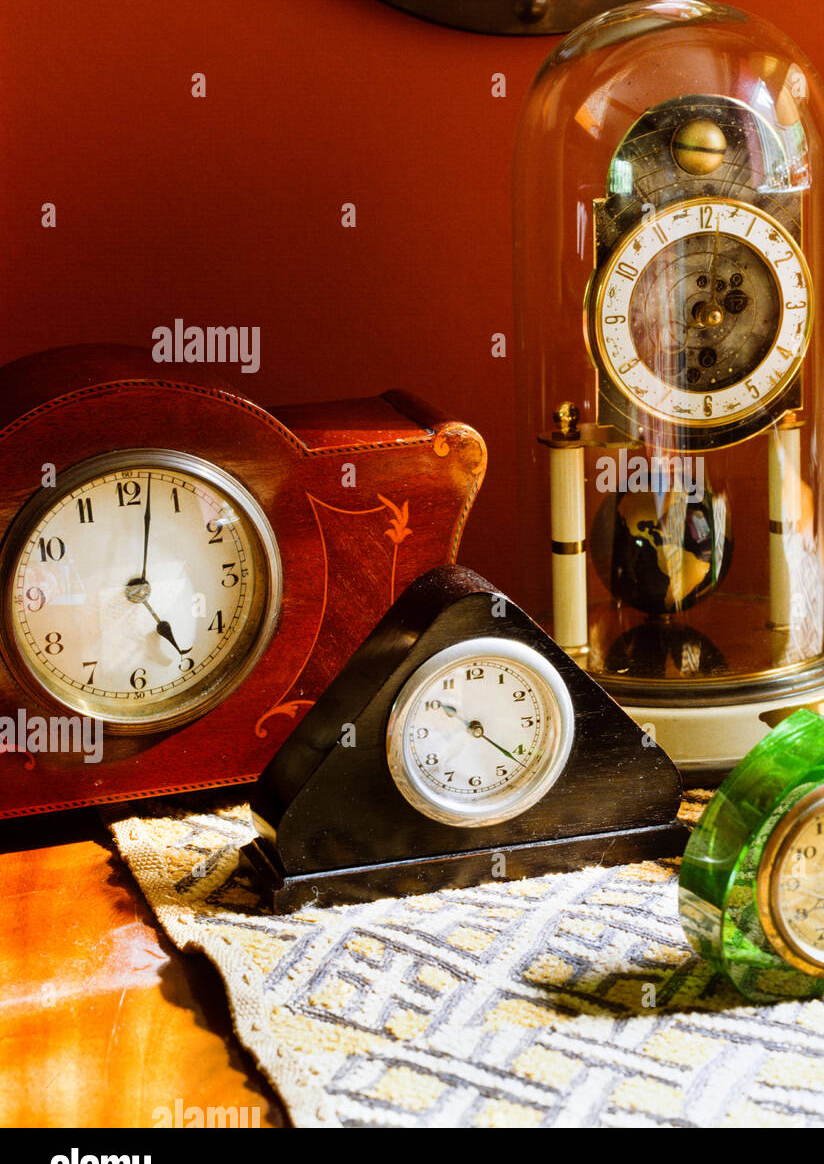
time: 5:01
